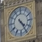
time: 4:24
